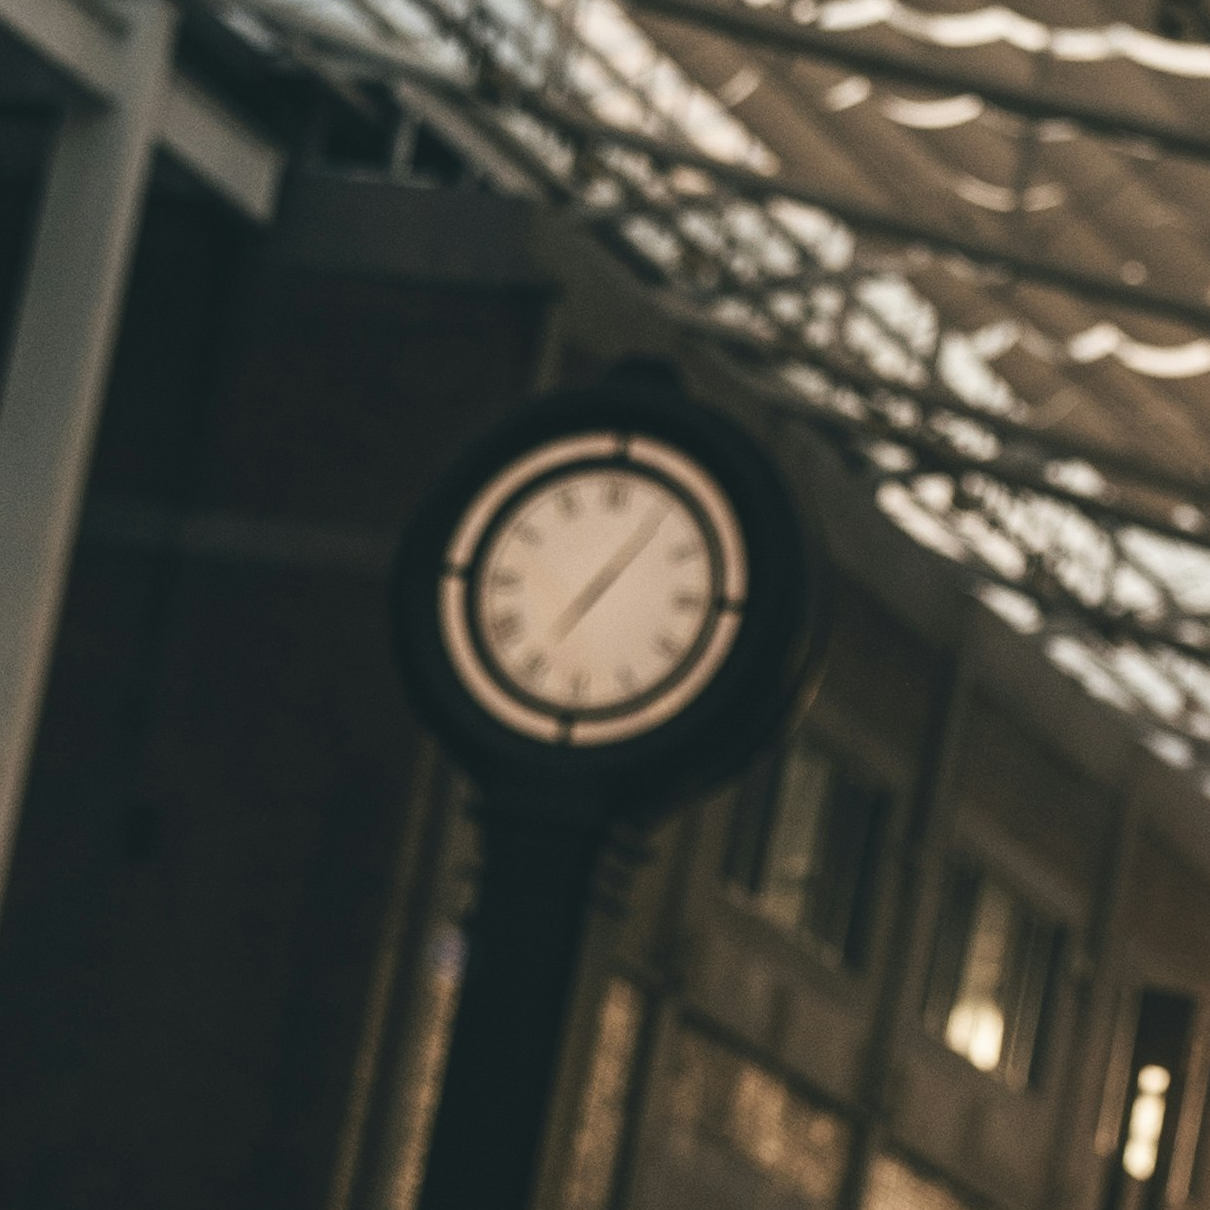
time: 7:05
